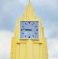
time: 8:46
